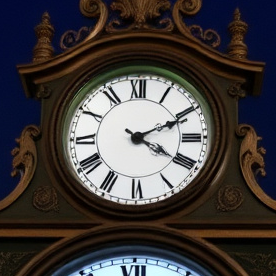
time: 4:10
